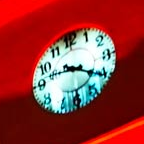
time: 9:20
